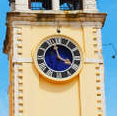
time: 3:57
